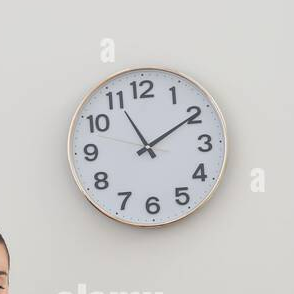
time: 11:09
